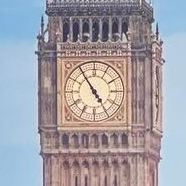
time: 4:54
